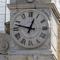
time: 12:47
